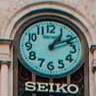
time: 1:10
